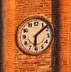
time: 6:08
